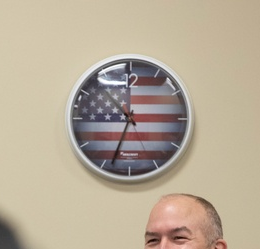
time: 10:33
